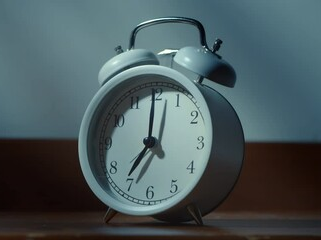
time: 7:00
